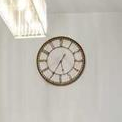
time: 5:35
